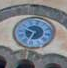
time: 9:33
